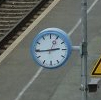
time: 2:44
